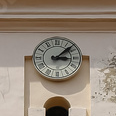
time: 3:07
